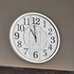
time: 10:58
